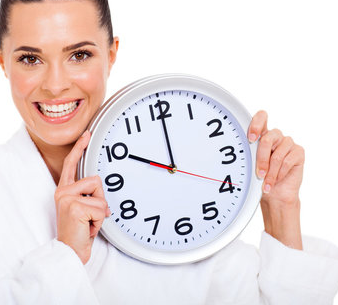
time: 10:00
